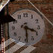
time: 3:29
